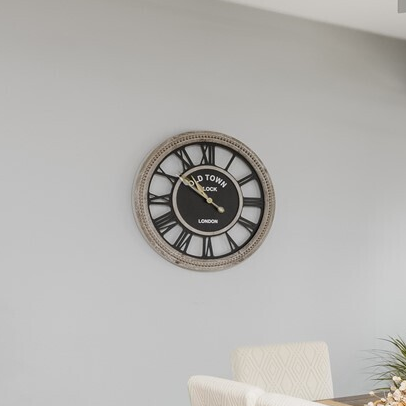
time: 10:50
